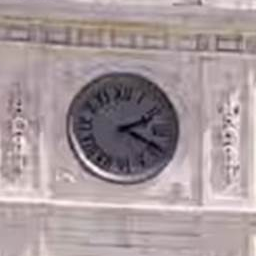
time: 2:19
